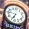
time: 6:46
